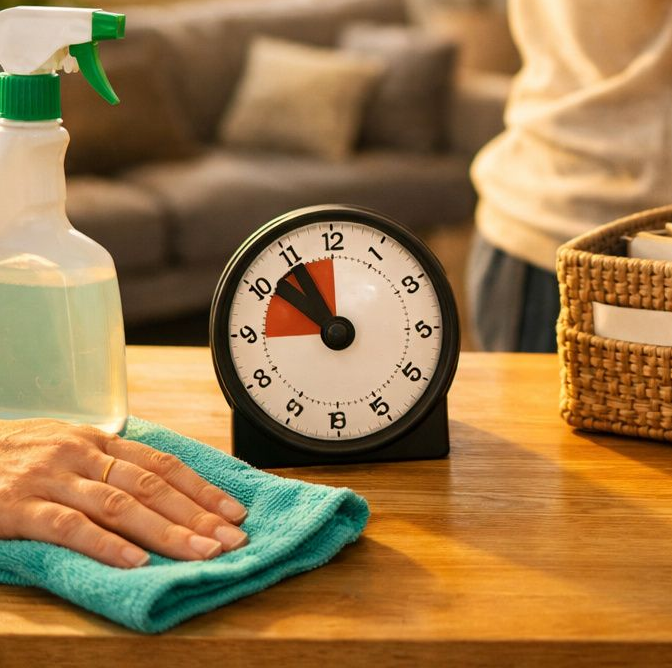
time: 10:50
